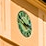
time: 2:48
